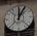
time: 12:05
